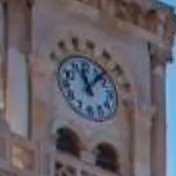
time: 11:07
